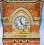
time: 11:22
